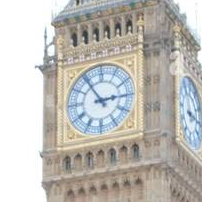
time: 2:54
